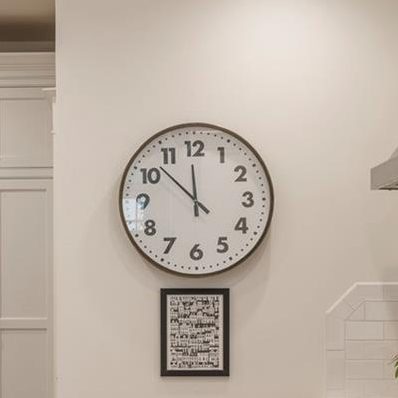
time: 11:52
